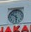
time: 5:51
